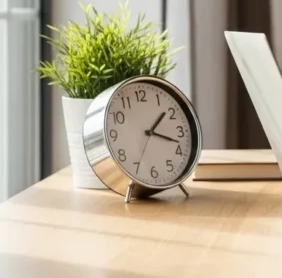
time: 1:18
